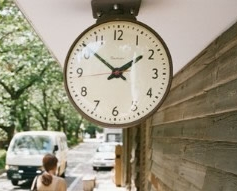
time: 1:51
